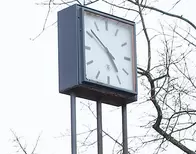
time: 4:51
